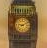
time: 9:10
